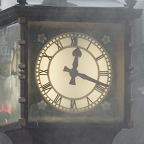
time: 12:18
